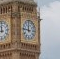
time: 11:46
